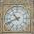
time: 10:41
